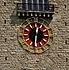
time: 12:30
